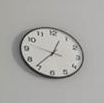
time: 12:36
